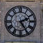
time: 2:24
